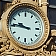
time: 9:45
